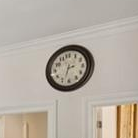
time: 2:33
